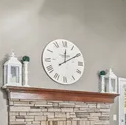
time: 12:10
